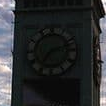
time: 2:36
